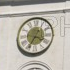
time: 3:34
